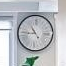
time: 10:45
